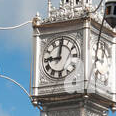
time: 9:01
